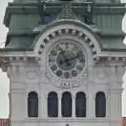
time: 11:11
